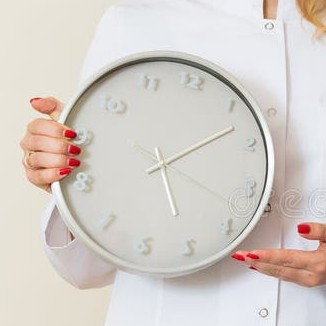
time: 5:07
